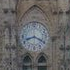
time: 8:19
